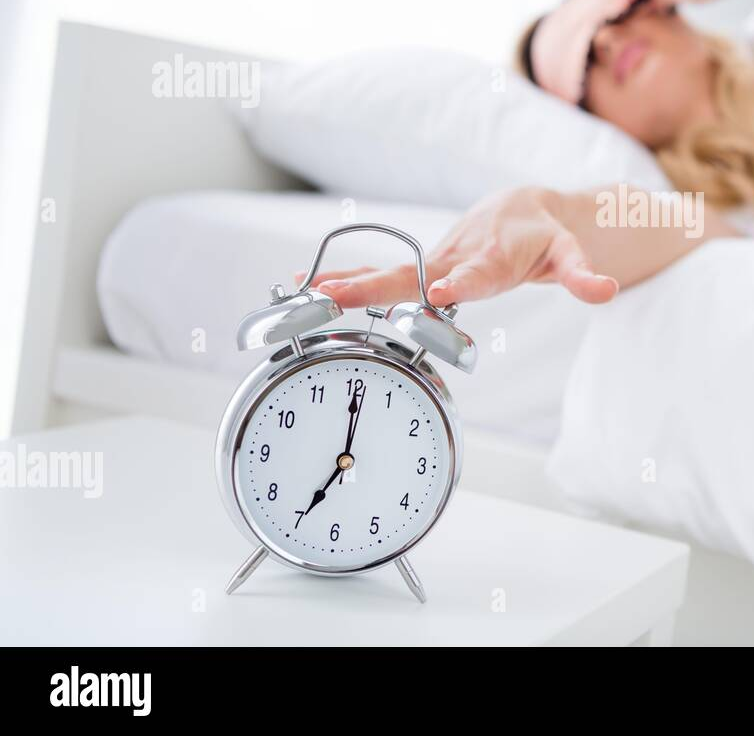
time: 7:00
